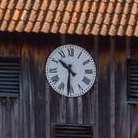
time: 10:31
